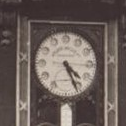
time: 4:26
